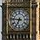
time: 6:46
